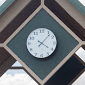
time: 4:07
